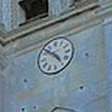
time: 4:52
